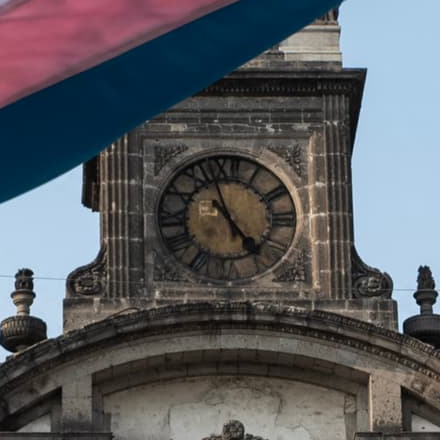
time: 4:57
